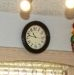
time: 10:47
